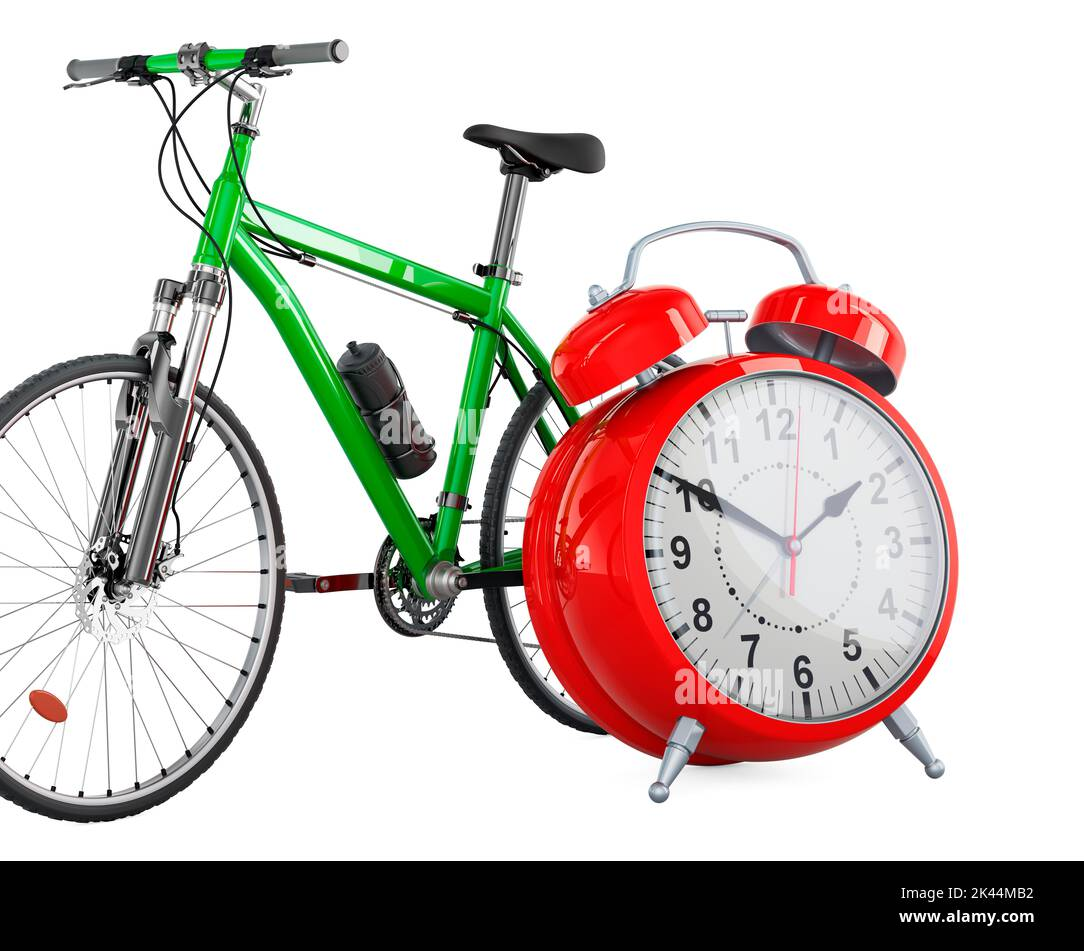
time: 1:50
